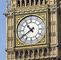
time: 10:39
